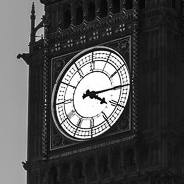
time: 4:14
